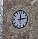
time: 12:13
